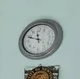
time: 11:48
